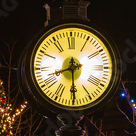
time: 8:30
